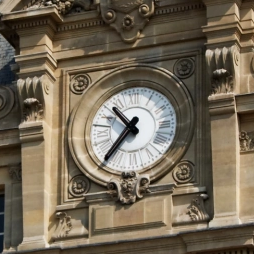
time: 10:36
